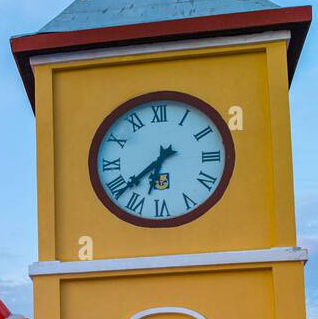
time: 6:38
